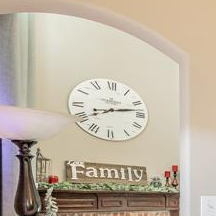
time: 8:12
